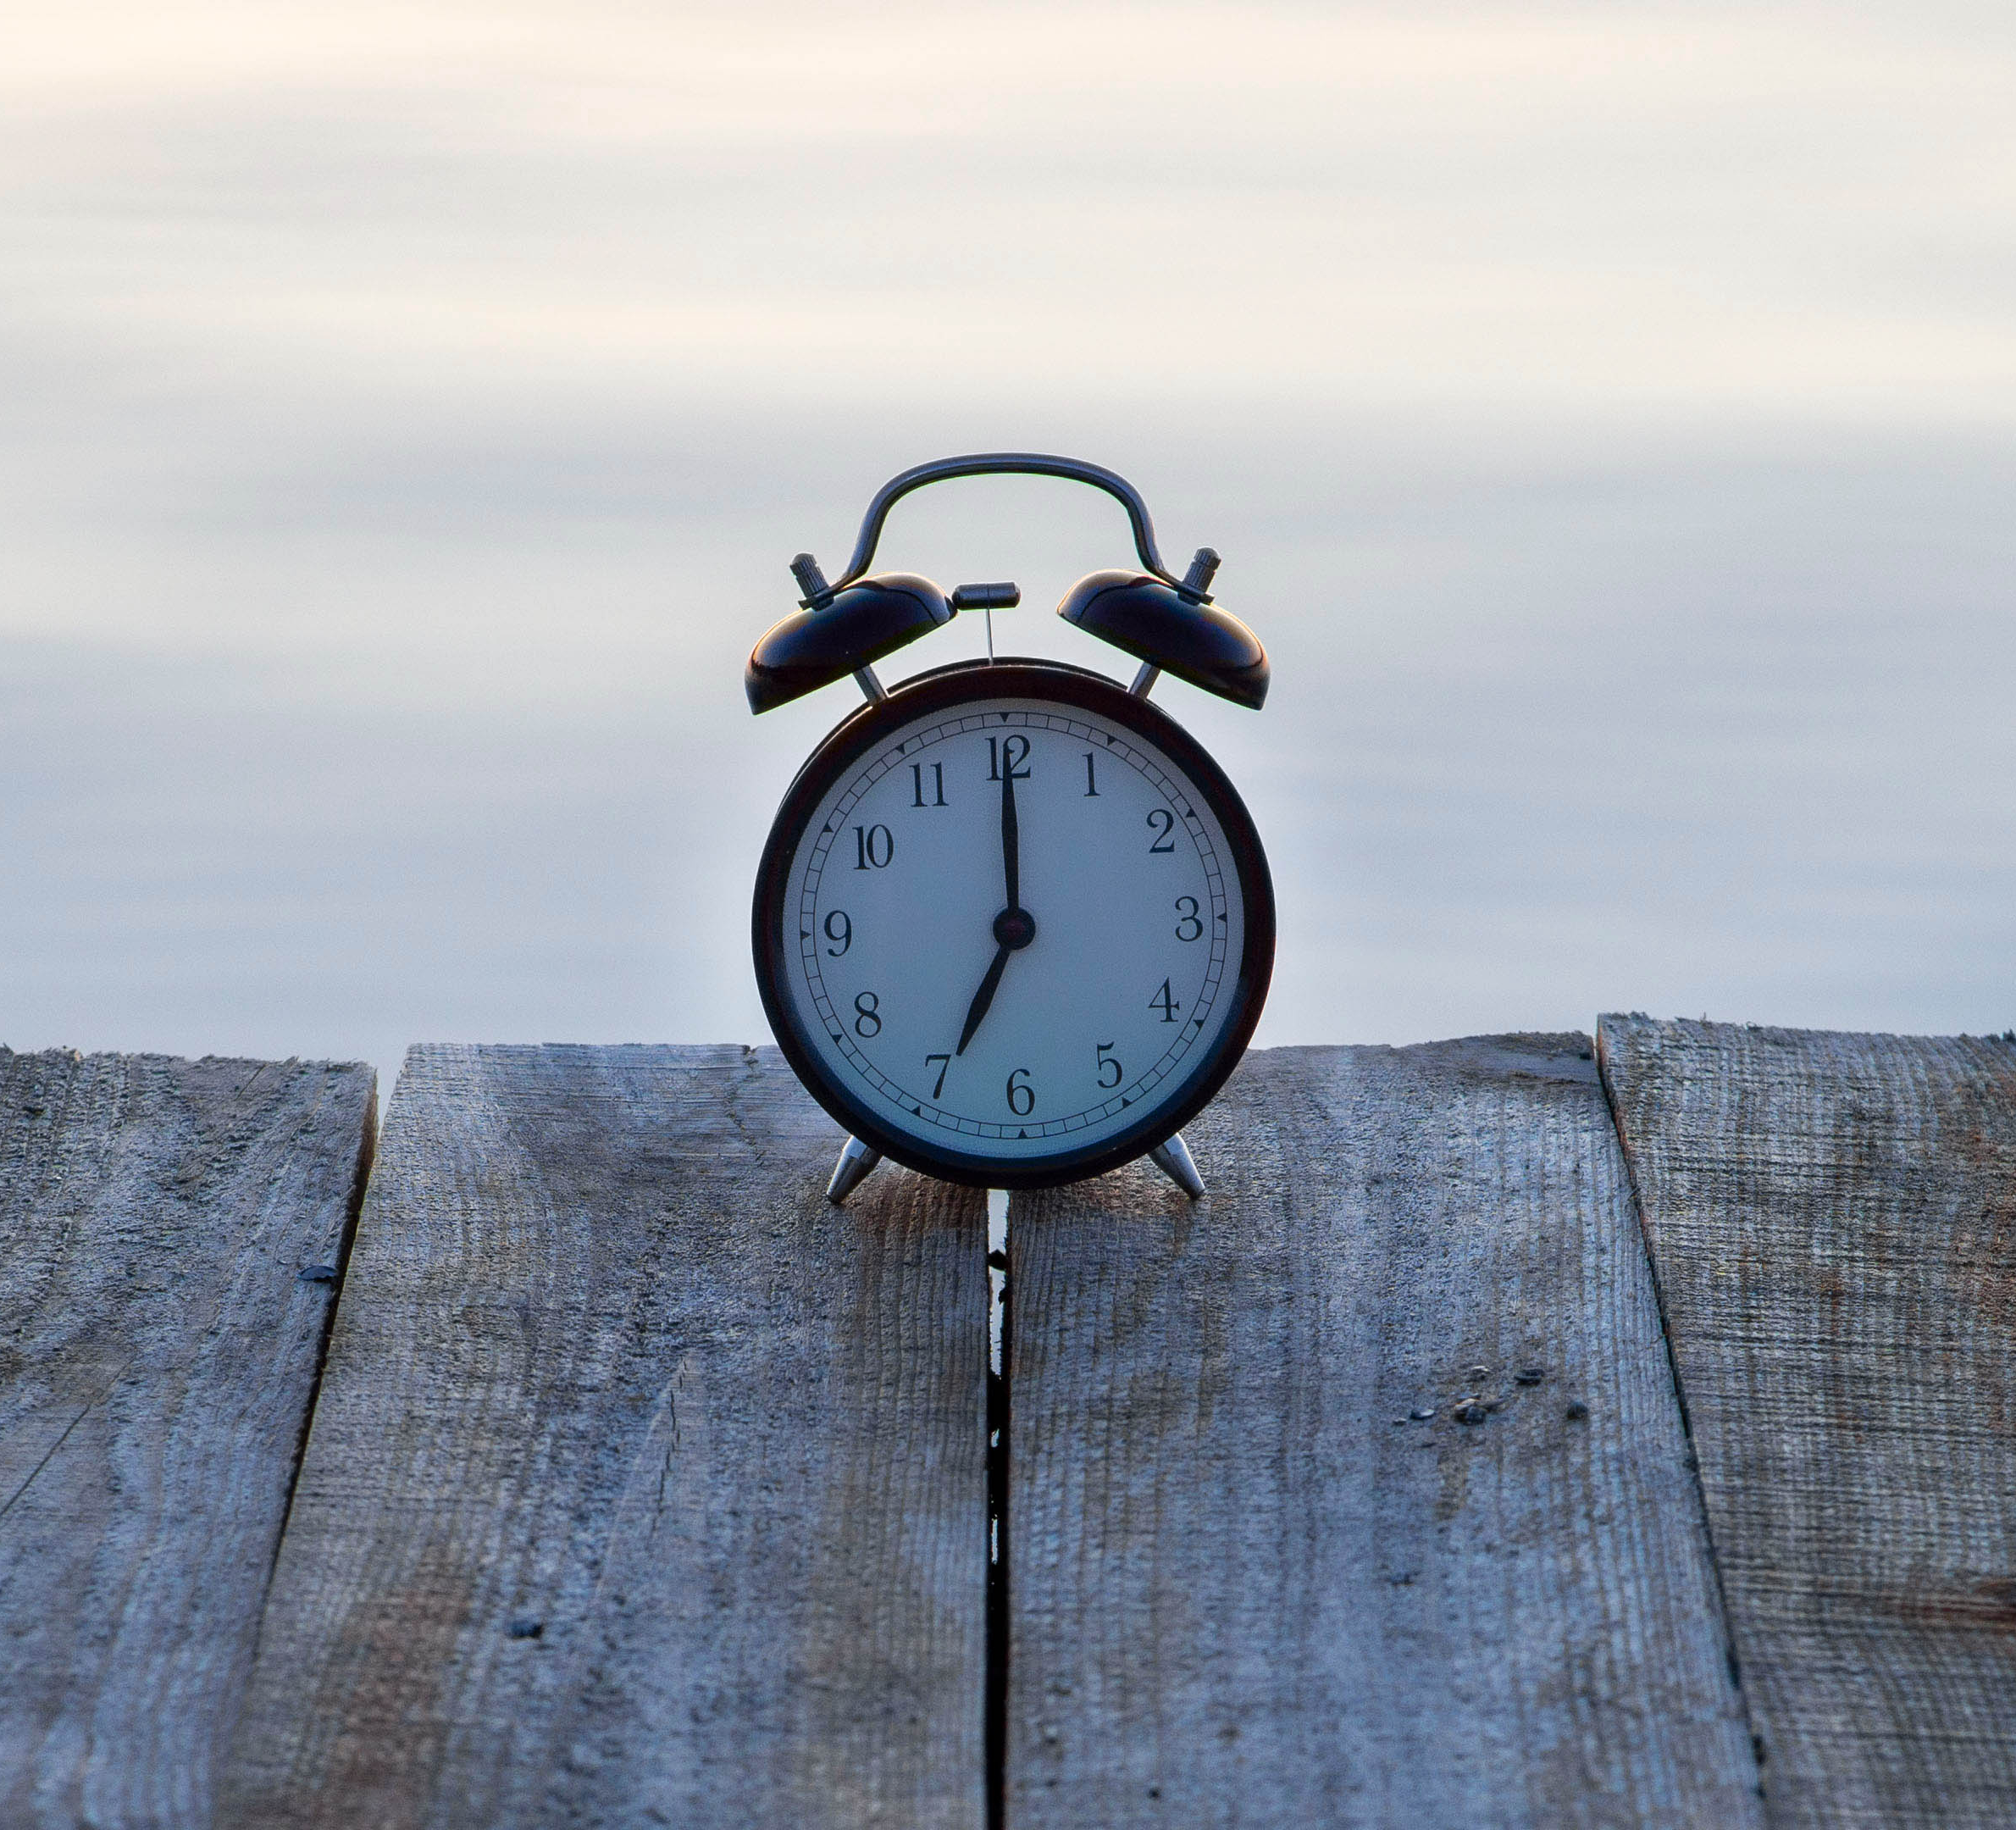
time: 7:00
